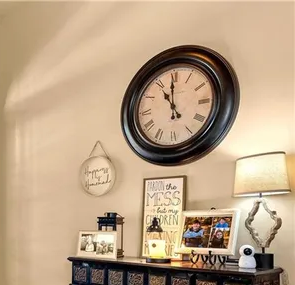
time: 10:59
